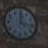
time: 12:16
